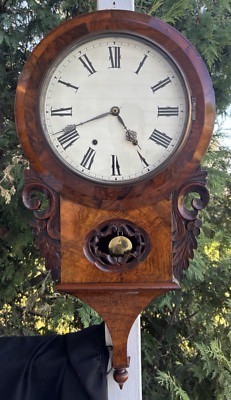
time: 4:41
